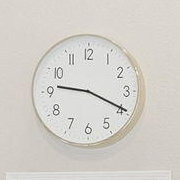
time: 9:19
